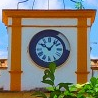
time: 10:06
